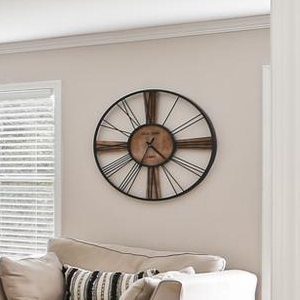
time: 4:34
